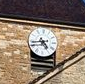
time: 4:43
